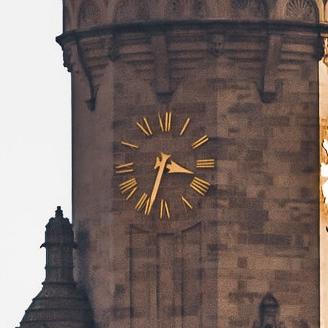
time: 3:33
